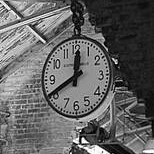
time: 11:40
